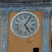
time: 5:05
